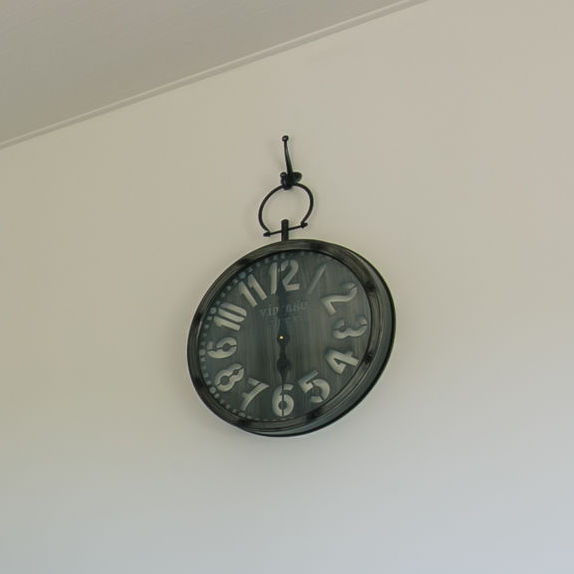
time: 5:59
